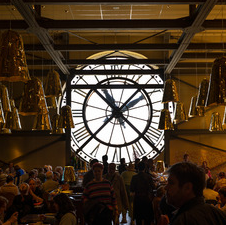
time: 1:37
